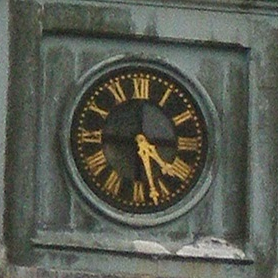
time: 4:27
